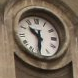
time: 10:31
